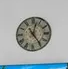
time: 12:24
